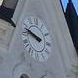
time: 9:48
